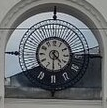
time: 4:30
